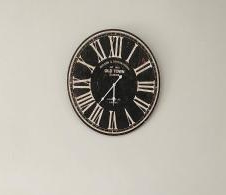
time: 5:36
